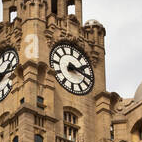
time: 2:16
